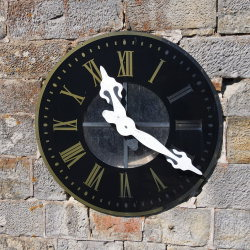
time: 11:20
